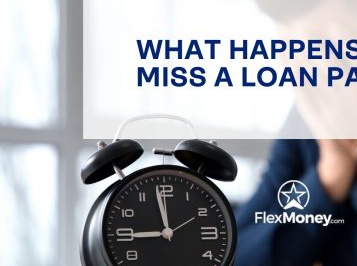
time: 8:58
